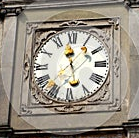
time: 11:37
